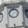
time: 7:12
